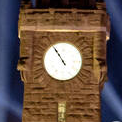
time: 10:54
